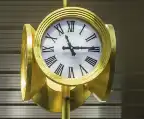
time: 11:14
